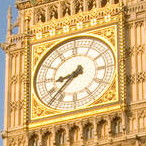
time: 8:37
